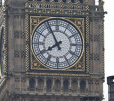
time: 7:55
